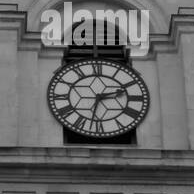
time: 2:32
